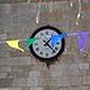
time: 1:22
